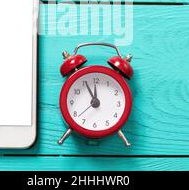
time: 11:55
